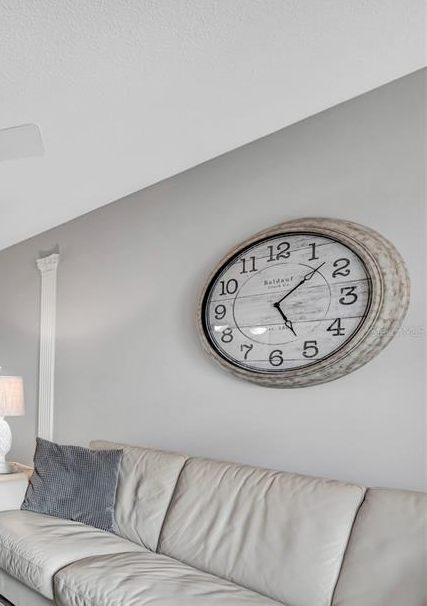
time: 5:07
